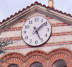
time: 5:08
